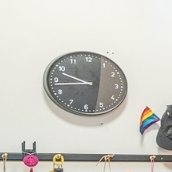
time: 9:43
